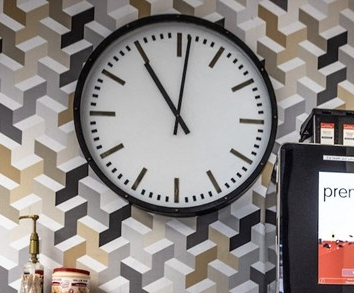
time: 11:01
